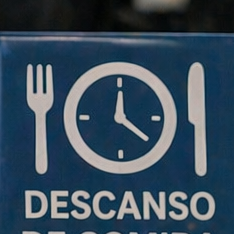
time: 12:20
